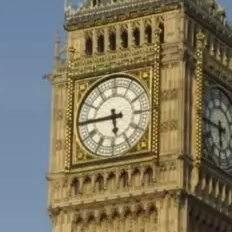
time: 5:44
